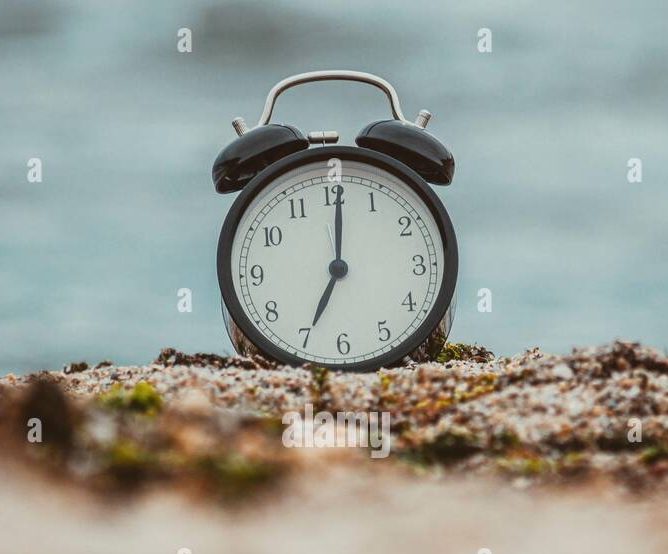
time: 7:00
